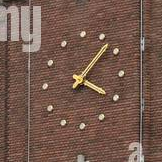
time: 4:07
